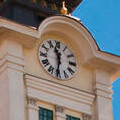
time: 11:31
